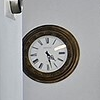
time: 4:28
